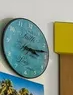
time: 3:13
